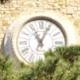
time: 11:04
